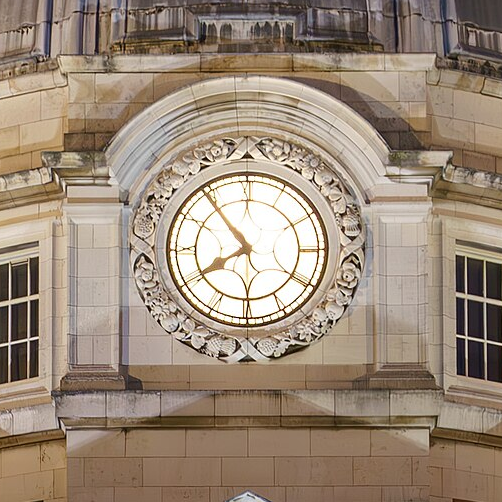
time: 10:40
